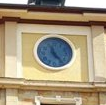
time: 11:23
